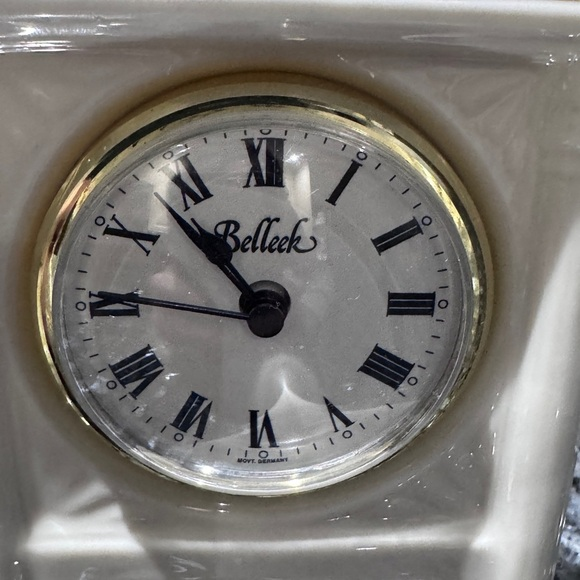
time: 10:45
